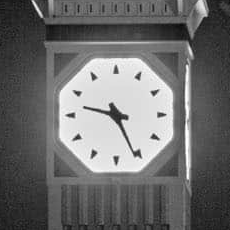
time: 9:25
